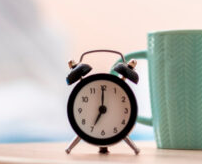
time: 7:00
